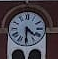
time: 4:30
